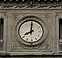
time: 8:01
